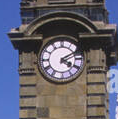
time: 4:10
